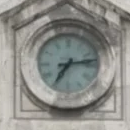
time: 7:13
